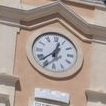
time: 12:37
